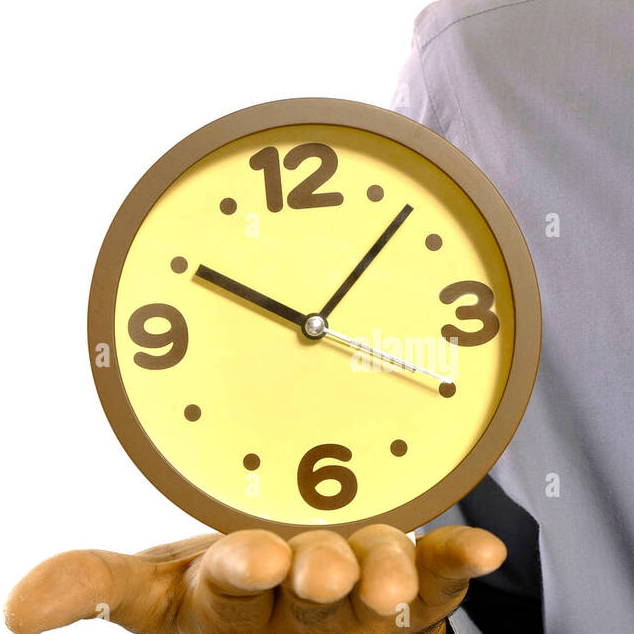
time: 10:07
